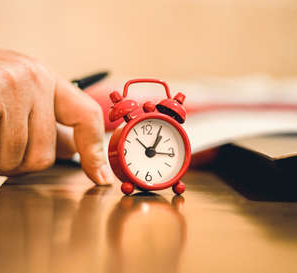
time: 1:16
